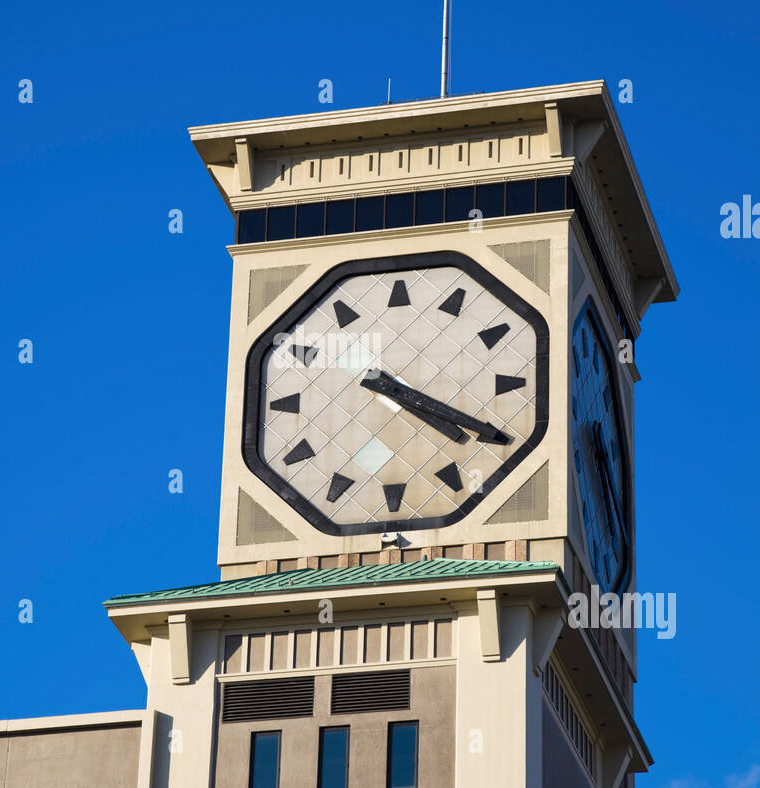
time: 4:19
